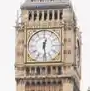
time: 12:28
